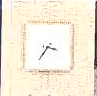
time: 3:36
